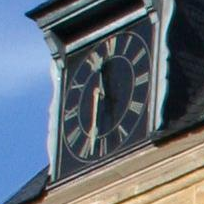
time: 11:32
